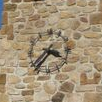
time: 3:37
